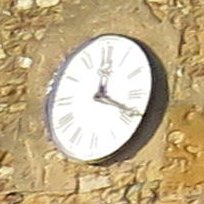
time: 12:19
